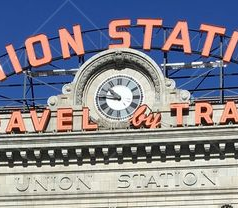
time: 10:45
